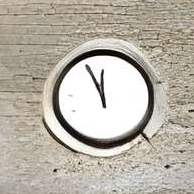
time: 11:55
